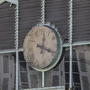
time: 12:18
